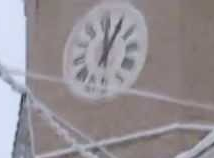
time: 12:05
